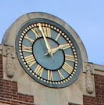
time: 1:57
